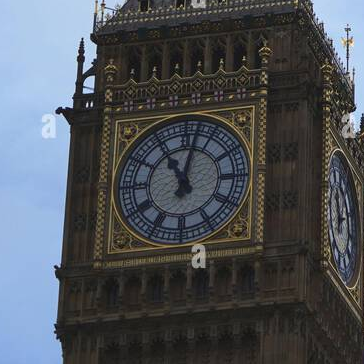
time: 11:02
